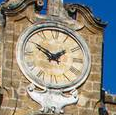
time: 1:50
